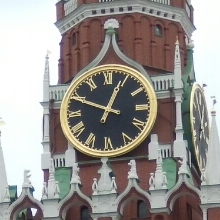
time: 12:49
